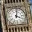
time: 4:02
